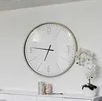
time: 6:46
